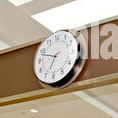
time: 6:48
